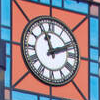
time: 11:11
